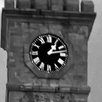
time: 1:13
